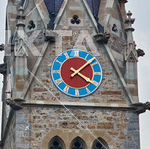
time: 4:08
